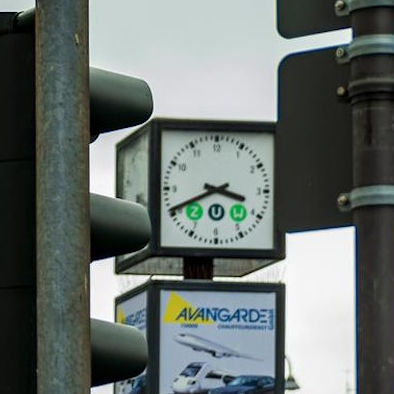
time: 3:40
